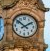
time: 1:51
